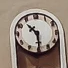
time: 10:29
